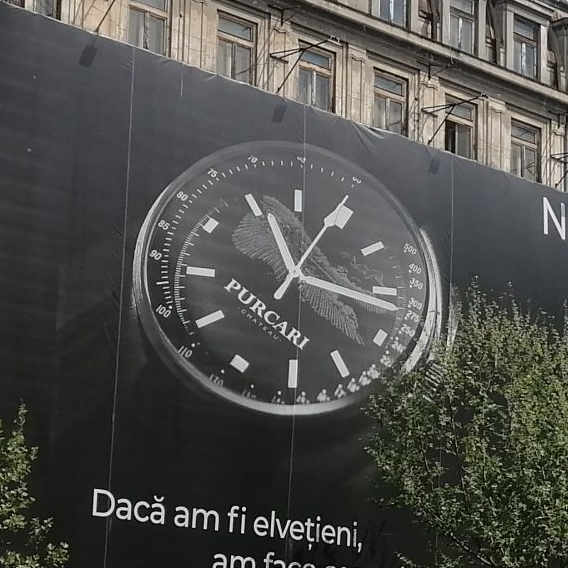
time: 11:16
